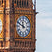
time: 11:49
